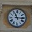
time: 11:15
